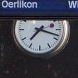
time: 7:18
